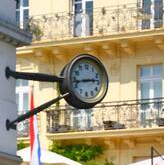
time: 2:42
